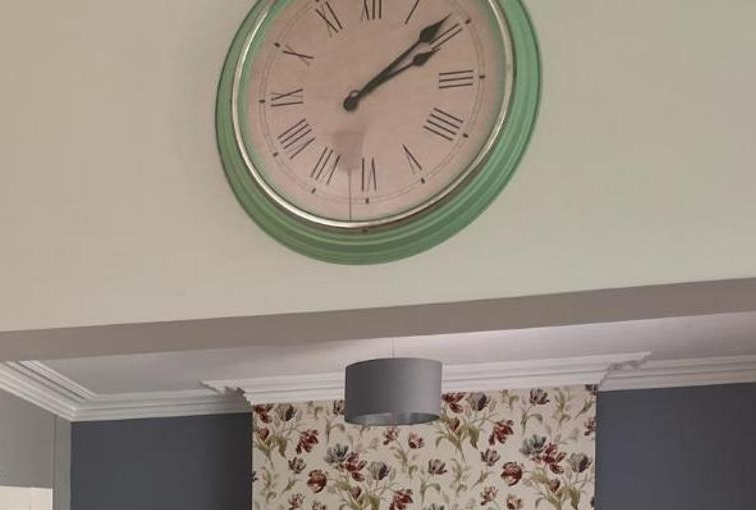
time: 2:08
